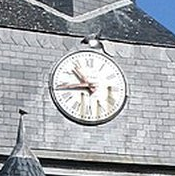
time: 10:43
